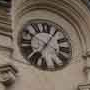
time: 7:05
